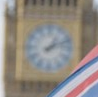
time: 1:11
